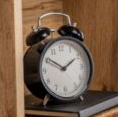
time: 1:50
